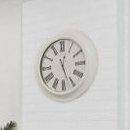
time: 12:26
